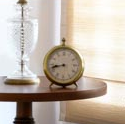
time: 8:42
